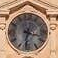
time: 3:32
